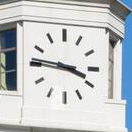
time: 3:46
